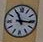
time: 11:15
